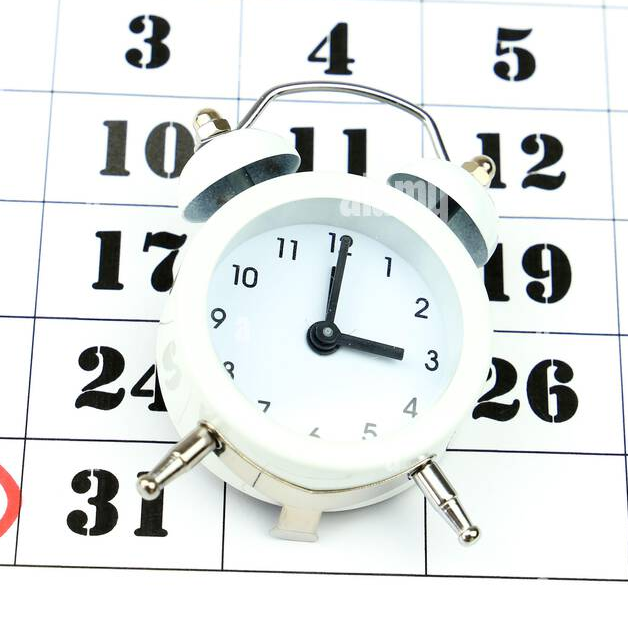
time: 3:00
